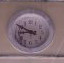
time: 8:49
